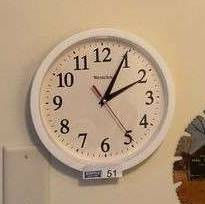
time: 2:04
